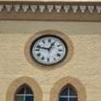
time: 12:47
